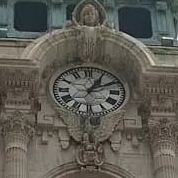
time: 1:10
